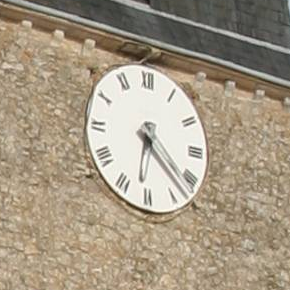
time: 6:22
